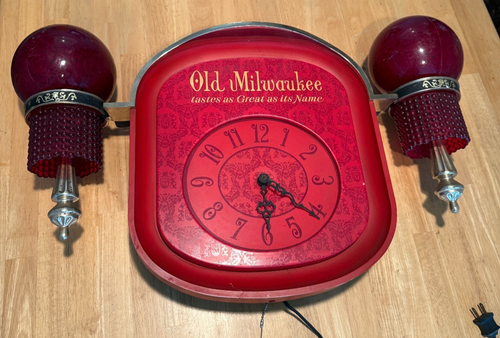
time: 6:21
